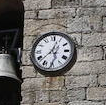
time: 12:37
